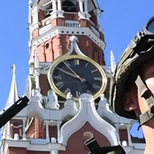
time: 10:49
